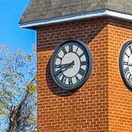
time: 8:40
